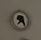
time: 7:24
